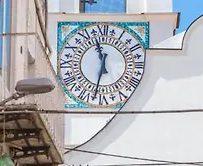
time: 11:32
